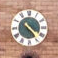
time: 4:23
